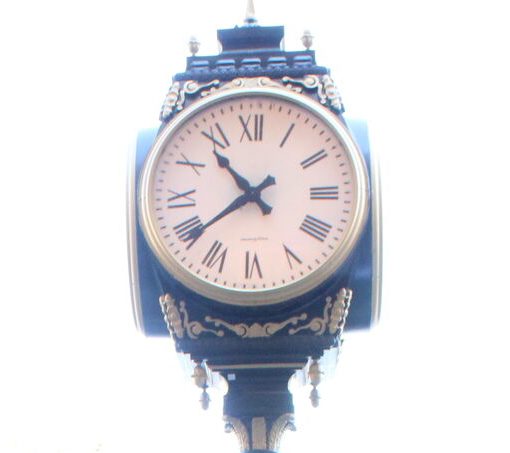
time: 10:39
